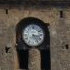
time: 3:24
